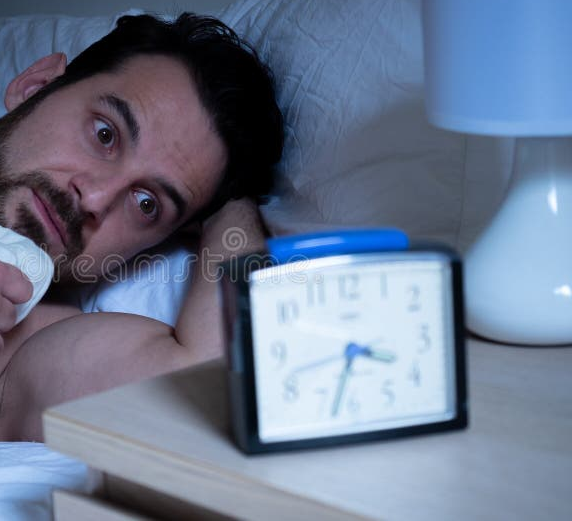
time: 3:33
